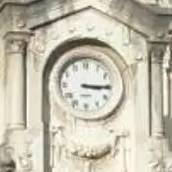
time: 3:15
